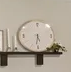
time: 5:31
